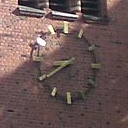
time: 8:39
